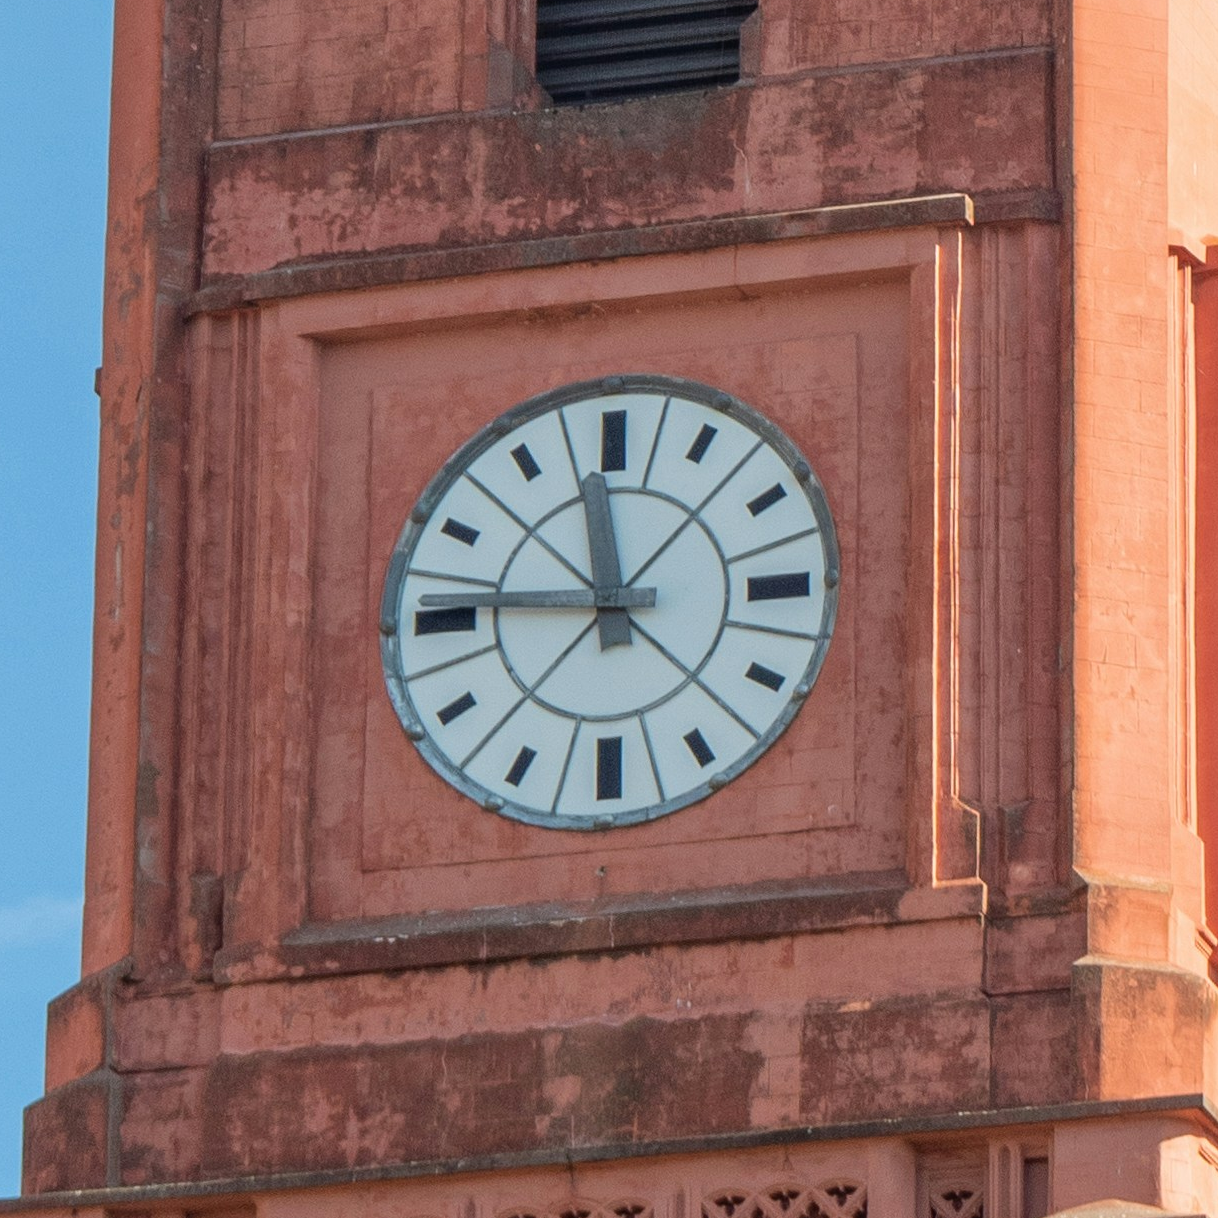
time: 11:45
